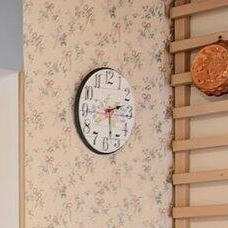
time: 2:28
